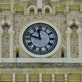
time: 11:47
